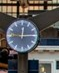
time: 12:14
